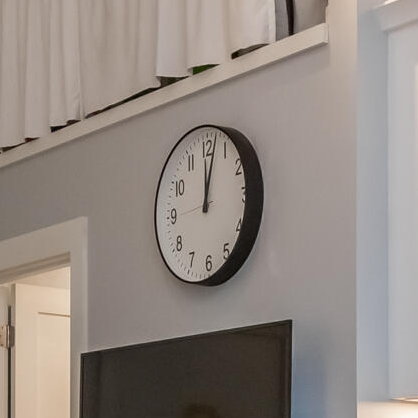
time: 12:02
